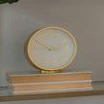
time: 2:49
